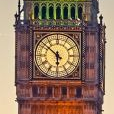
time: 5:51
